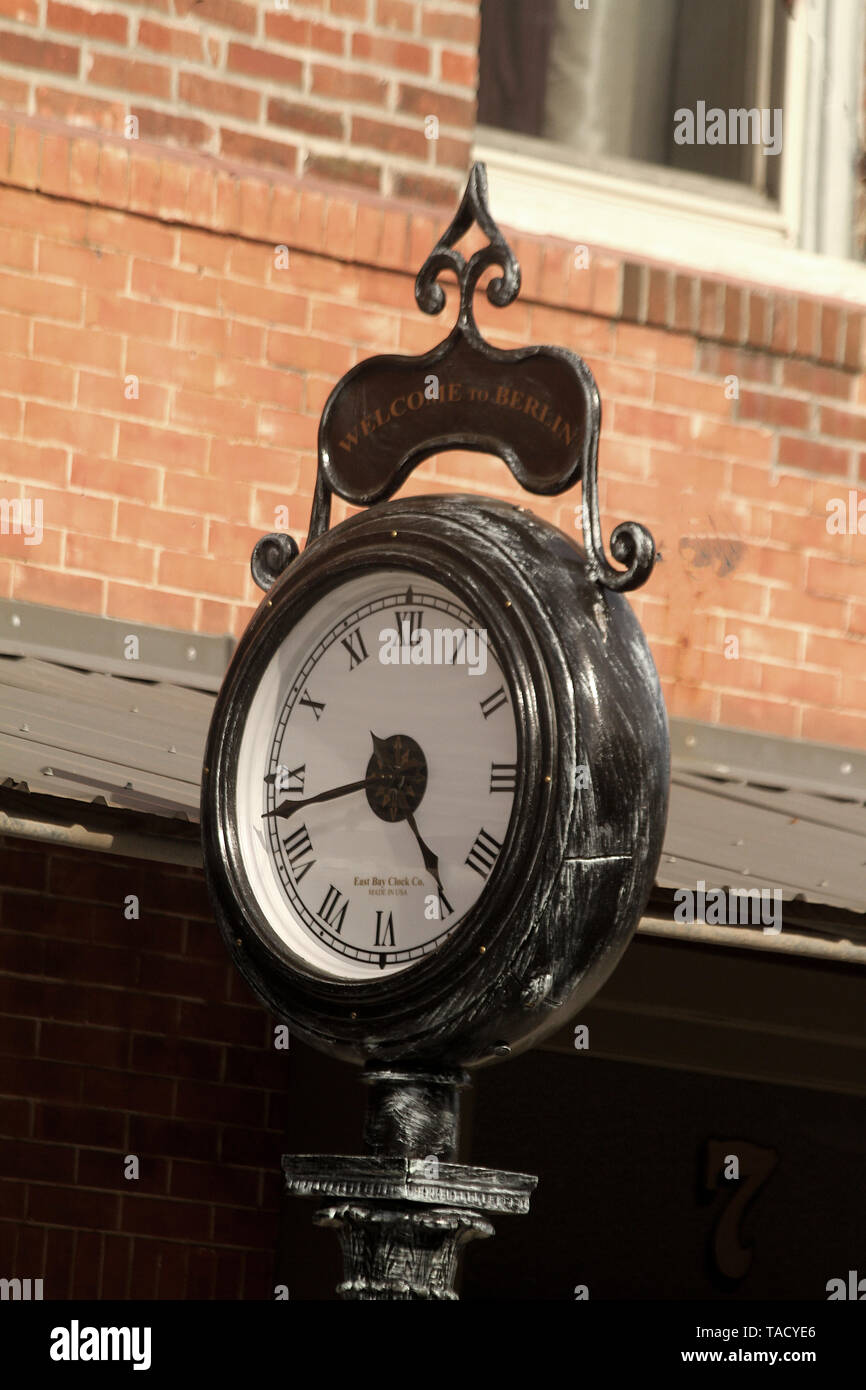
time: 4:42
